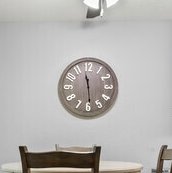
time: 11:29
